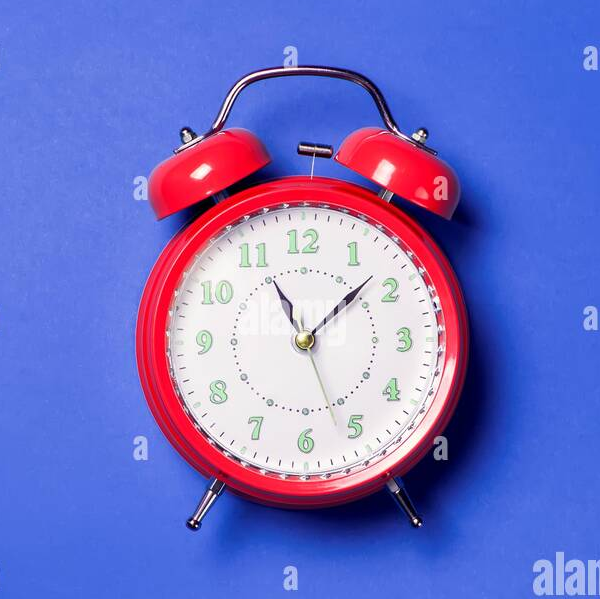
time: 11:07
